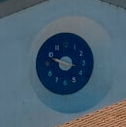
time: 9:48
